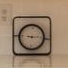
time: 9:14
